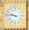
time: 9:46
